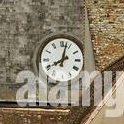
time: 8:02
